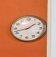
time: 1:42
